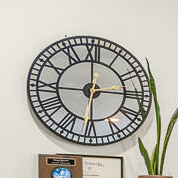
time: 2:59
